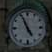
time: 4:56
